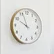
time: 9:56
